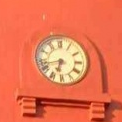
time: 6:42
